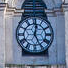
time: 12:24
